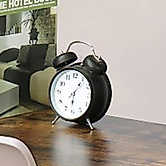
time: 6:06
